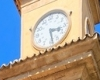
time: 3:28
